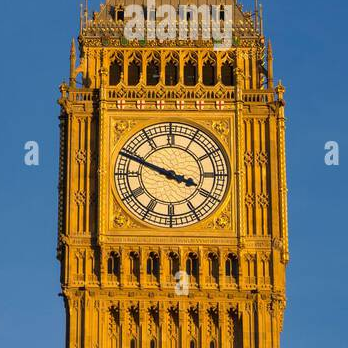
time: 3:48
